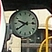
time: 9:39
